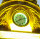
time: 8:12
